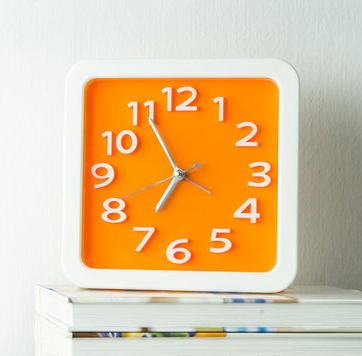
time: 6:55
